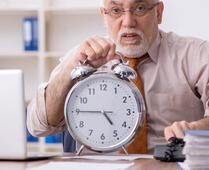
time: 4:45
